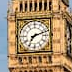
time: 7:12
